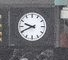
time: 9:41
